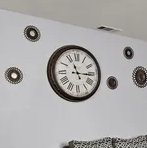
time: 11:15
